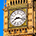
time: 8:17
